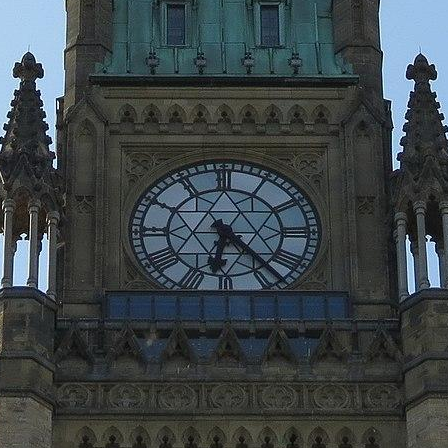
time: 6:22
